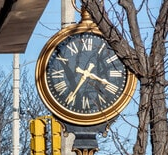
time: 3:35
